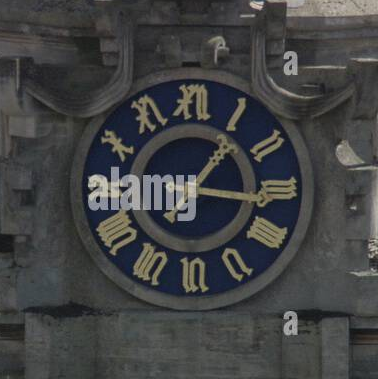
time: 1:16
